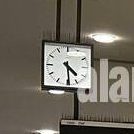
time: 4:29
